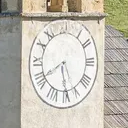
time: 5:40
